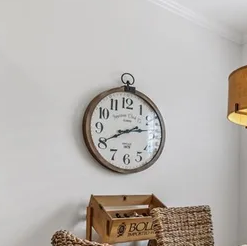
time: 2:40
